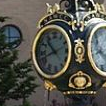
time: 10:41
